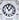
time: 11:07
